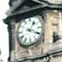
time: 1:18
